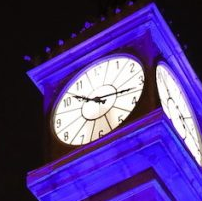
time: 10:17
